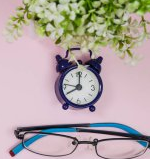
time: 8:00
